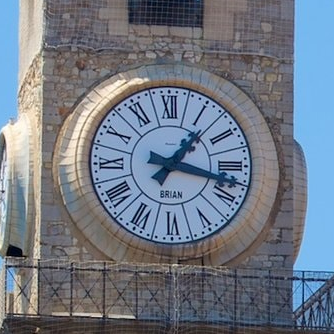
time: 1:17
